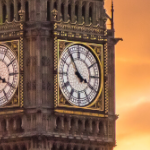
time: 3:54
